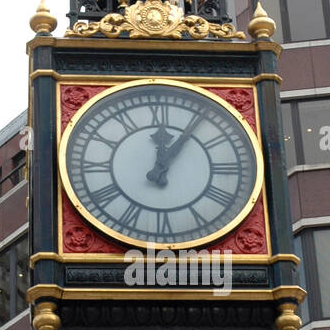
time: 12:05
